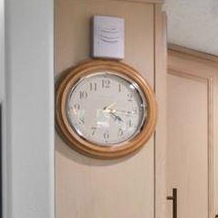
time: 4:16
